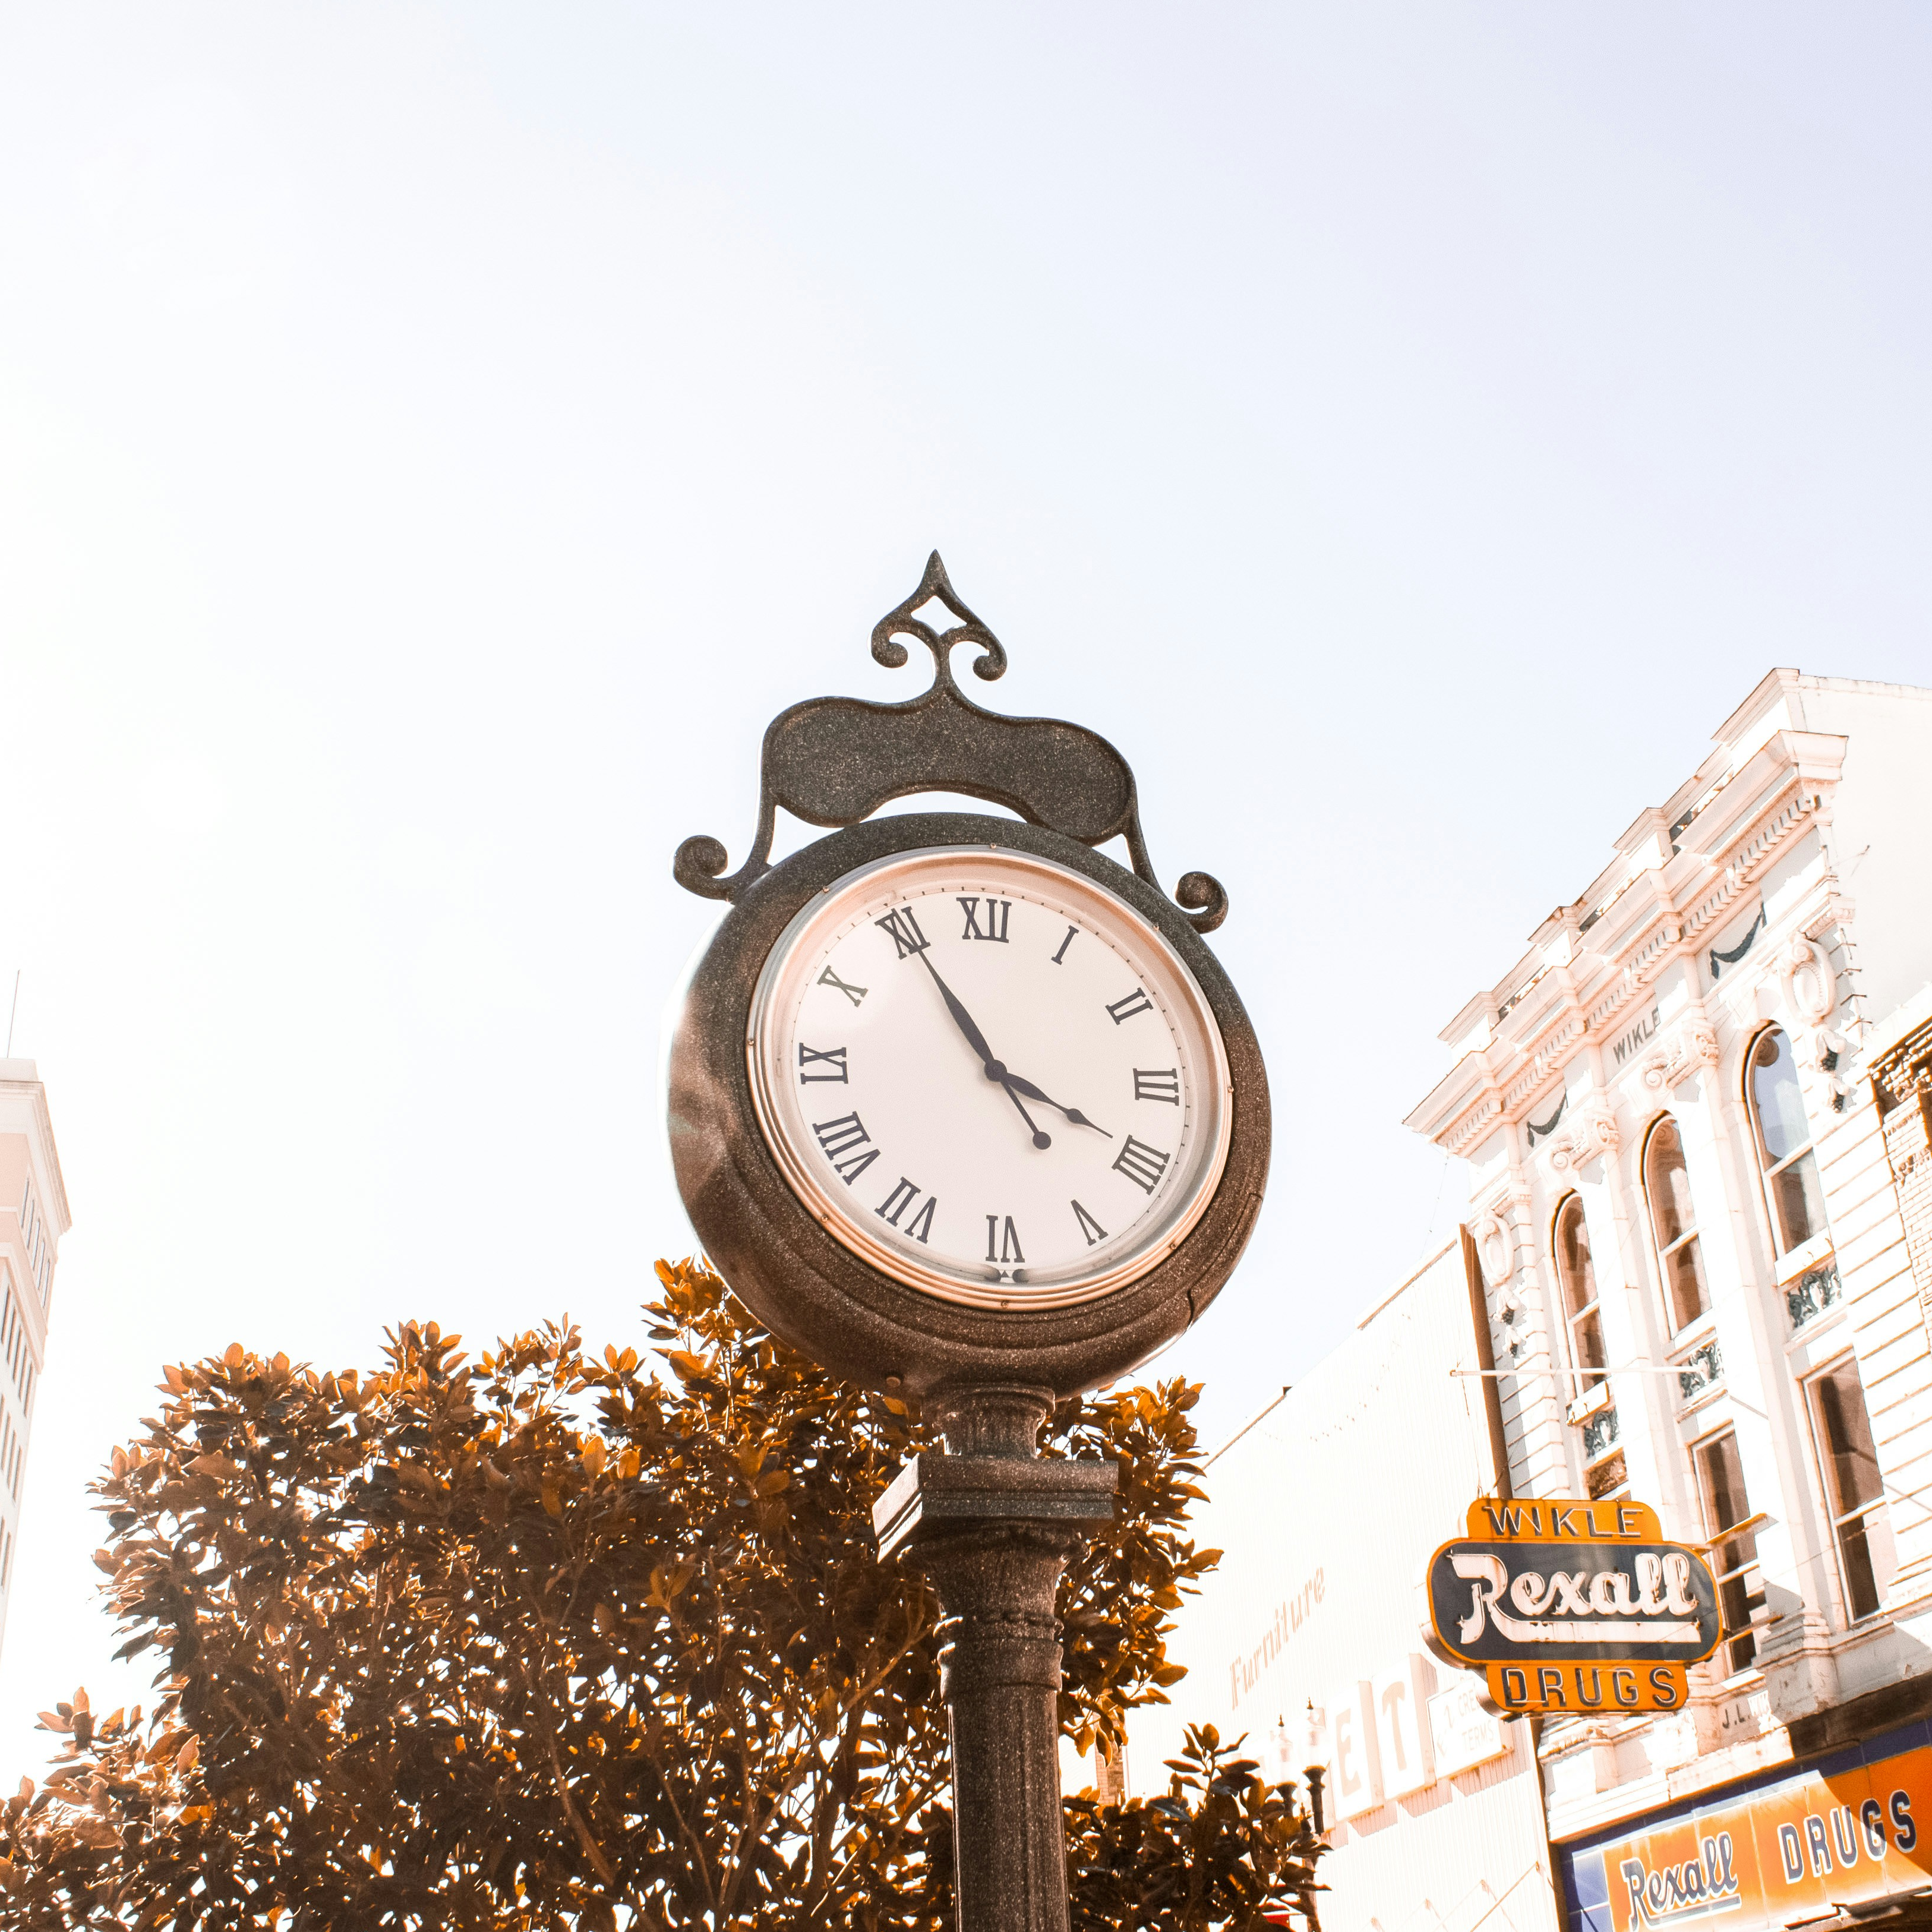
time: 3:54
